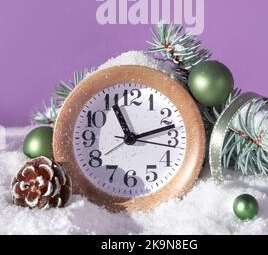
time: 11:12
